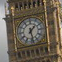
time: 1:28
